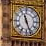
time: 11:26
